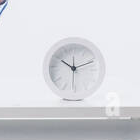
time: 10:11
